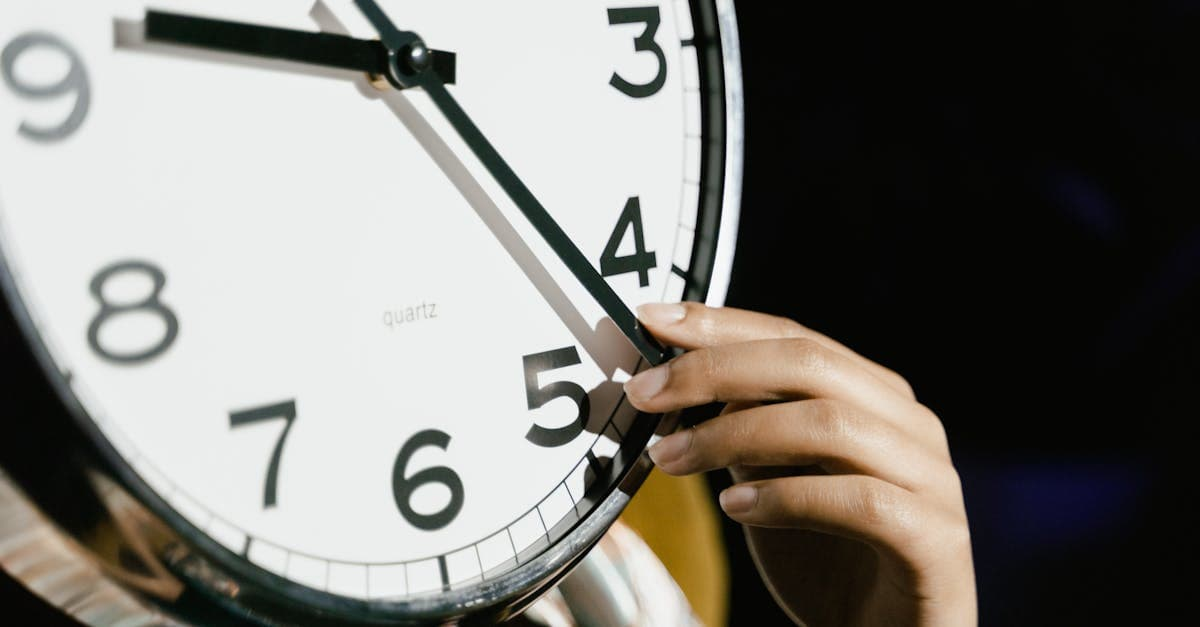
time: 9:22
